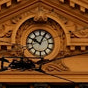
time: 10:04
